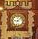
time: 9:07
